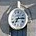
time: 7:14
